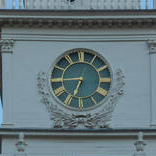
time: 6:45
